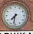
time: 7:31
